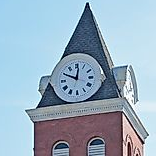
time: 10:01
